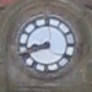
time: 8:41
